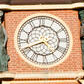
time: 4:41
